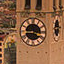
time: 3:43
